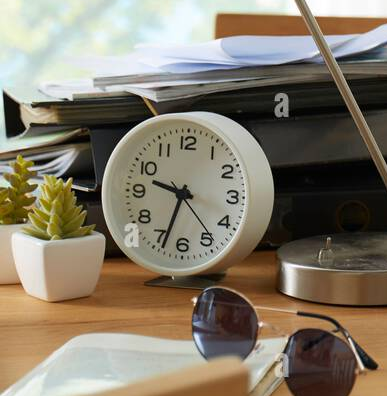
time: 9:33
